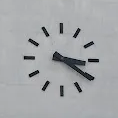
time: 3:20
